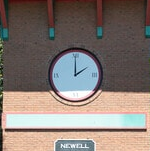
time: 1:59
